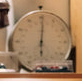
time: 6:00
